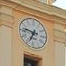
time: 6:47
